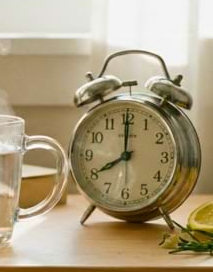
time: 8:00
